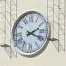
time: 2:18
